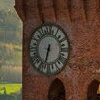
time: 6:32
